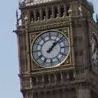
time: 1:08
